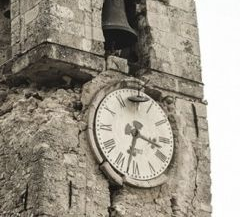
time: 3:32
